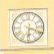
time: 6:18
